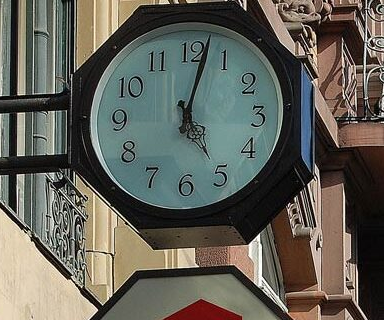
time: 5:02
